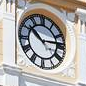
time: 10:13
